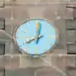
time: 8:01
